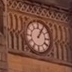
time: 1:05
